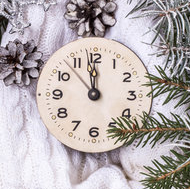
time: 11:58
